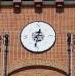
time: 12:32
